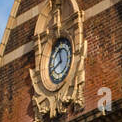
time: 11:40
